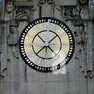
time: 1:37
